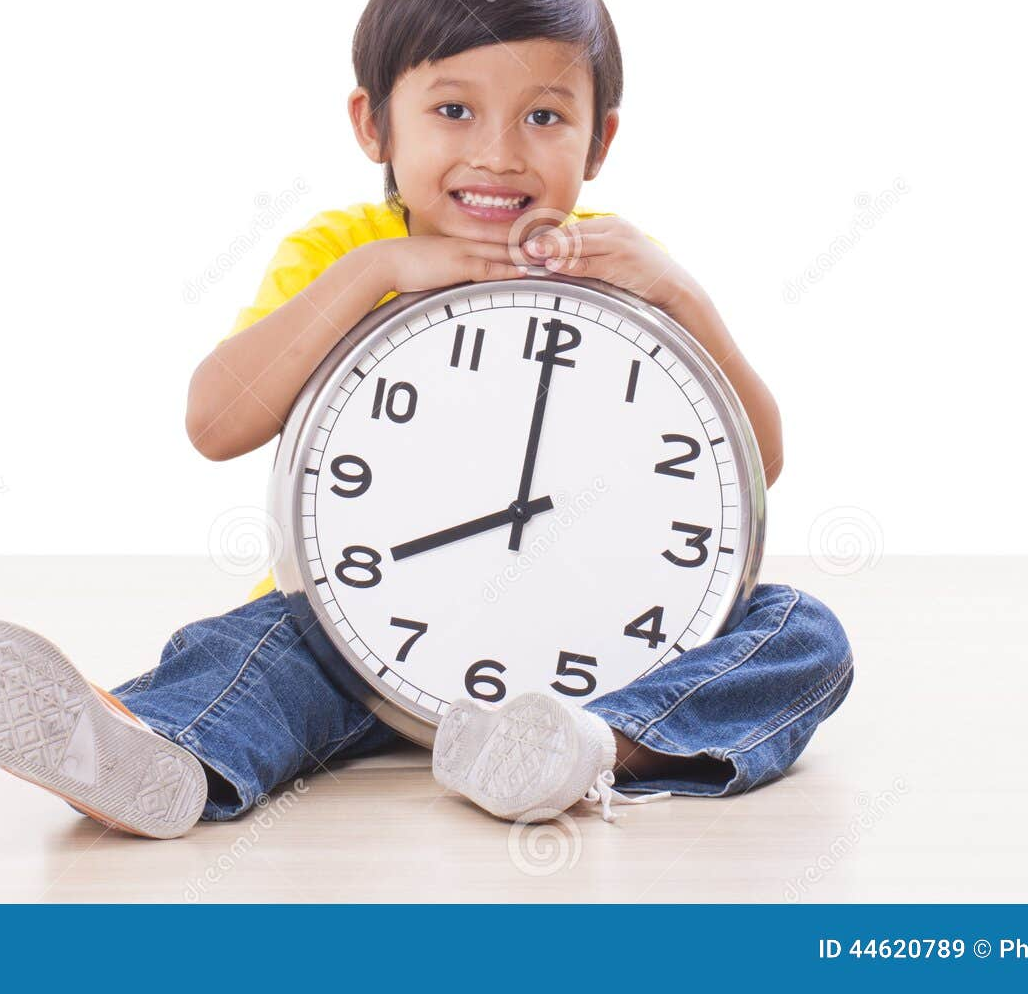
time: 7:59
